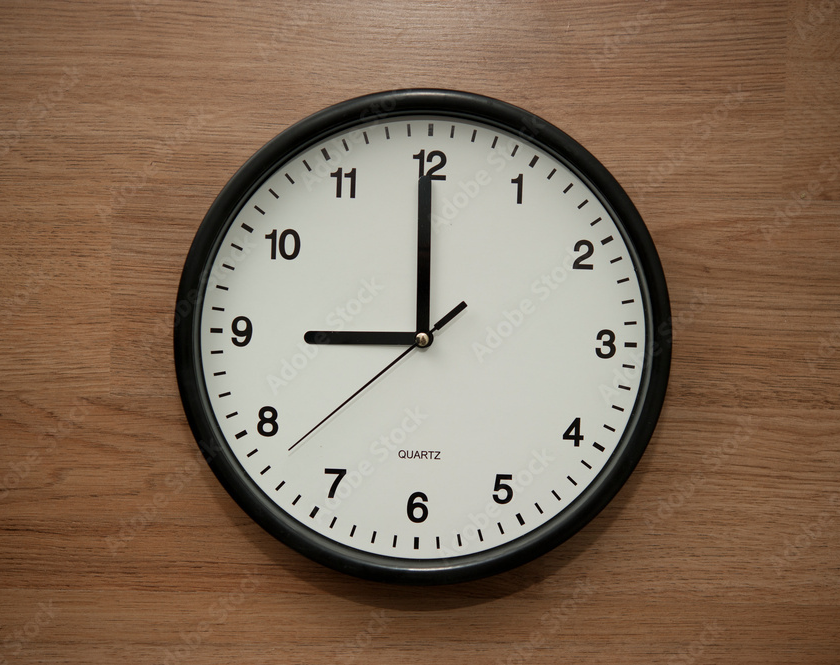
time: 8:59
